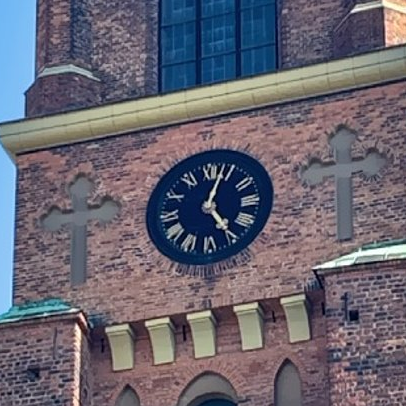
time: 5:03
